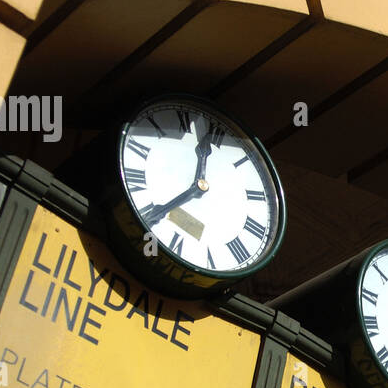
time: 12:39
